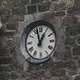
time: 12:57
